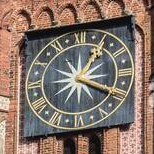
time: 1:18
